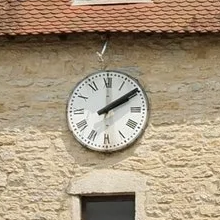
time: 2:09
